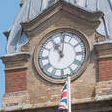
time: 11:01
